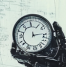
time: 12:14
